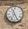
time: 11:25
